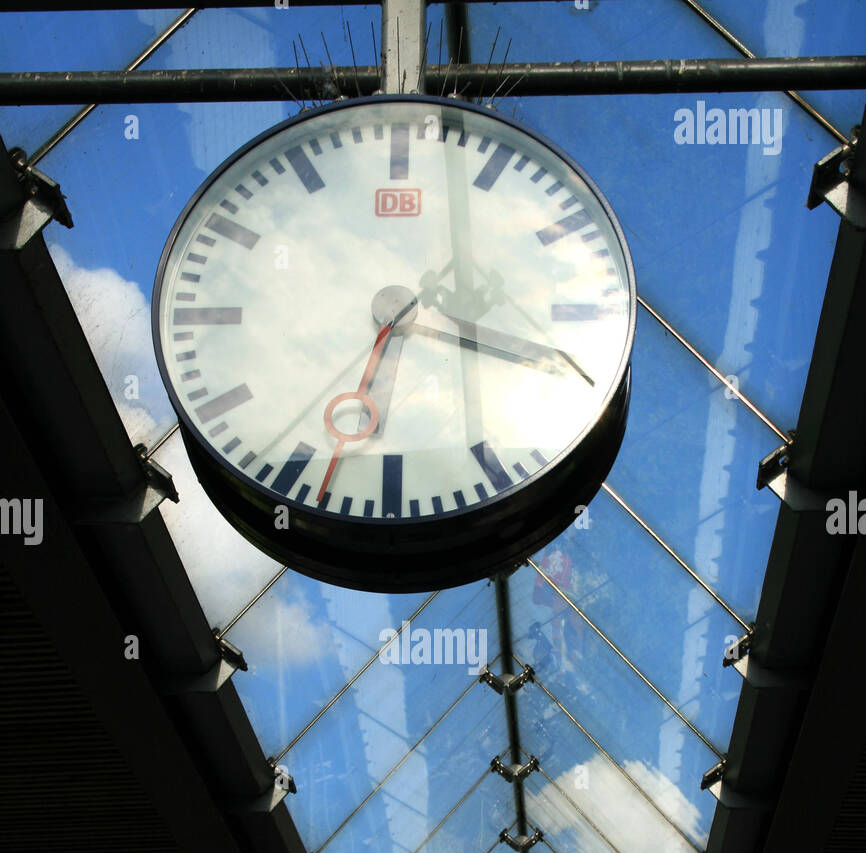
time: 3:33
